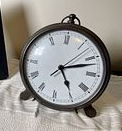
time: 2:24
